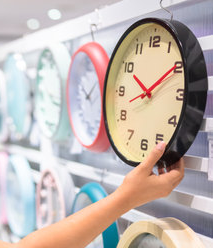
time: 8:09
